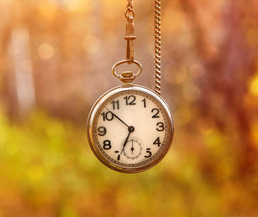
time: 6:52
